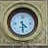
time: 4:29
